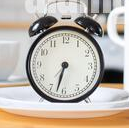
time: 6:32
